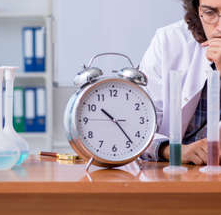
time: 10:23
